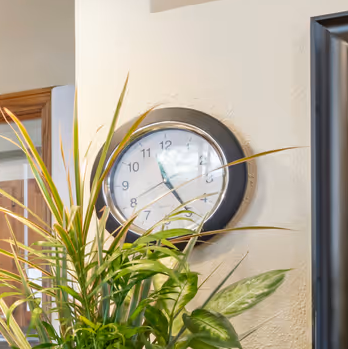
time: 11:24
